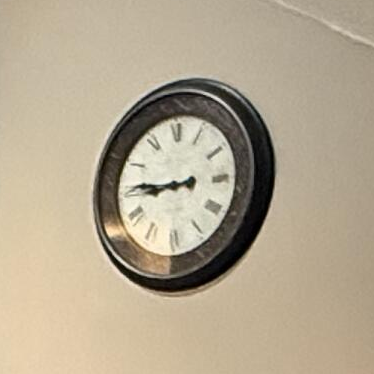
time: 8:45
